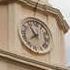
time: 7:53
